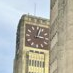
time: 12:16
